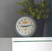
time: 9:13
